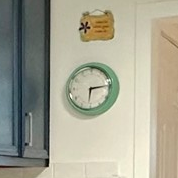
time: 6:13
